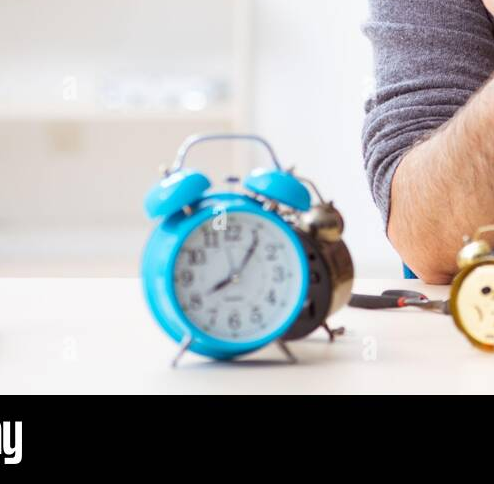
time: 8:06
